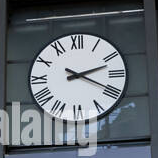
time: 2:19
